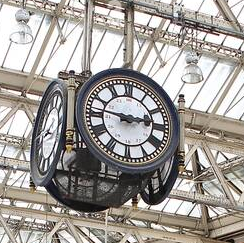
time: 2:46
